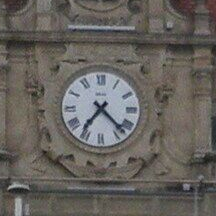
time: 7:22
